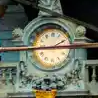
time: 2:44
